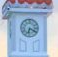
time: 6:19
